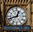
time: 12:42
